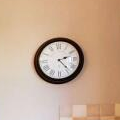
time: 2:22
